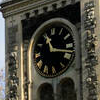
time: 11:17
